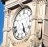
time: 5:26
